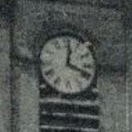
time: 12:18
